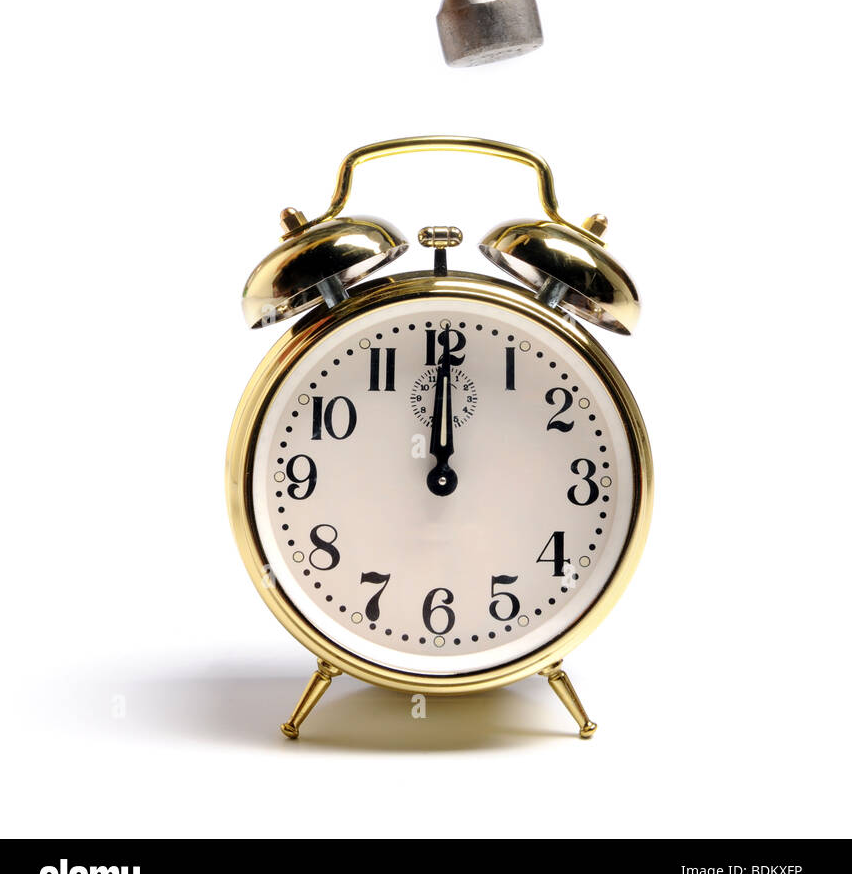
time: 12:00
